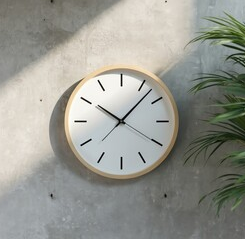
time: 10:07
